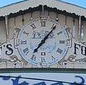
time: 7:06
